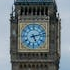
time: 5:12
